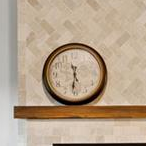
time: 5:31
